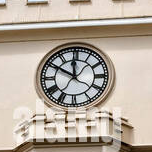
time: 11:50
